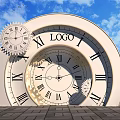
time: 11:44
